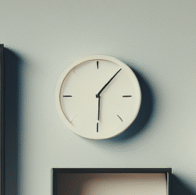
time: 6:06
